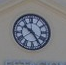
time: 10:24
